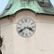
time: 3:40
